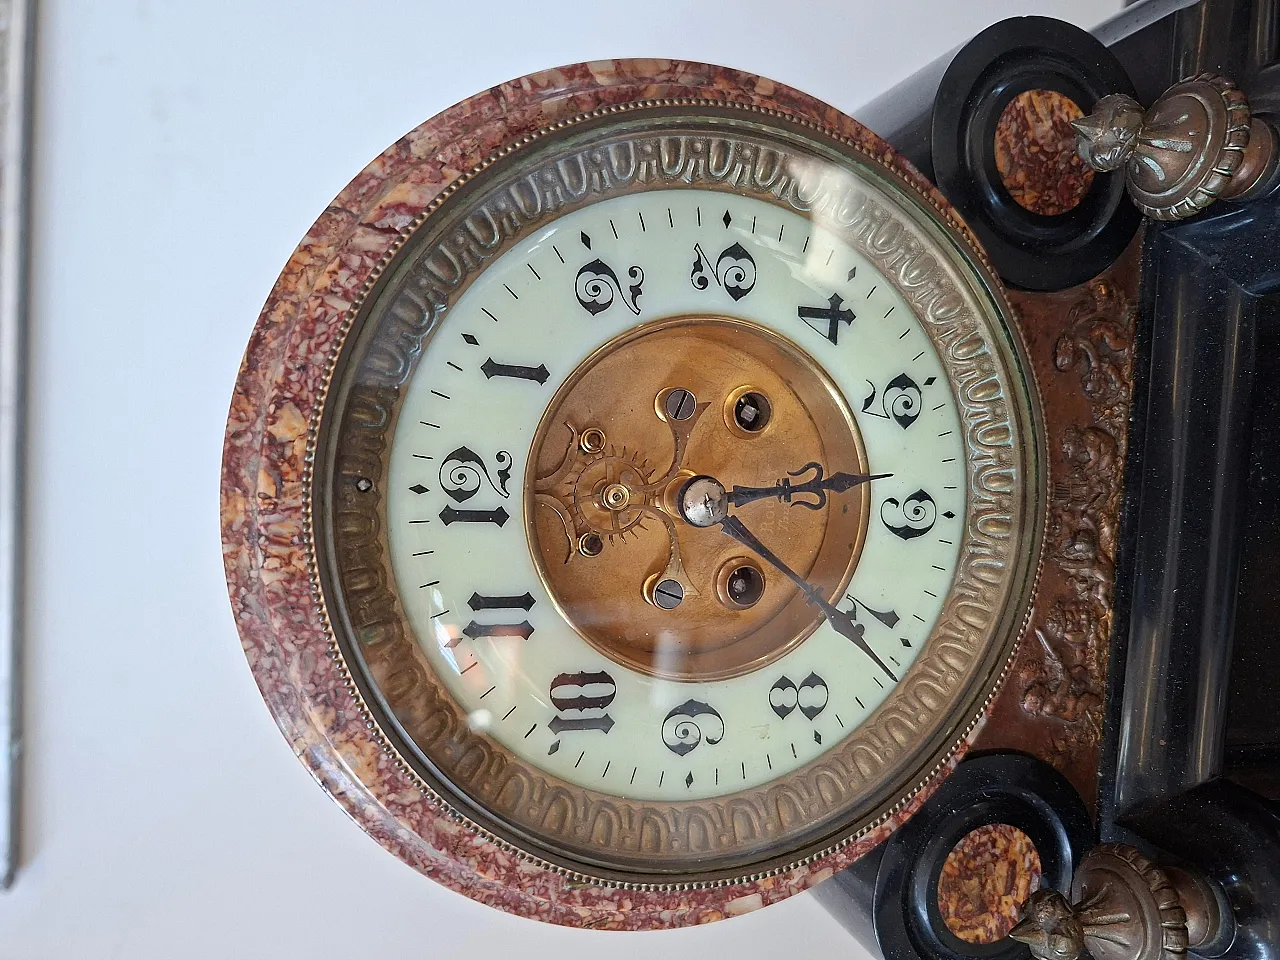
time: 4:13
